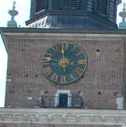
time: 11:46
